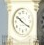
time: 10:20
